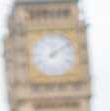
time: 12:09
